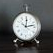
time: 12:12
